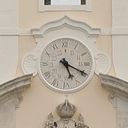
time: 5:19
